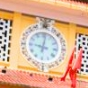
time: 9:01
